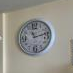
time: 11:12
